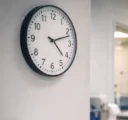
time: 4:12
